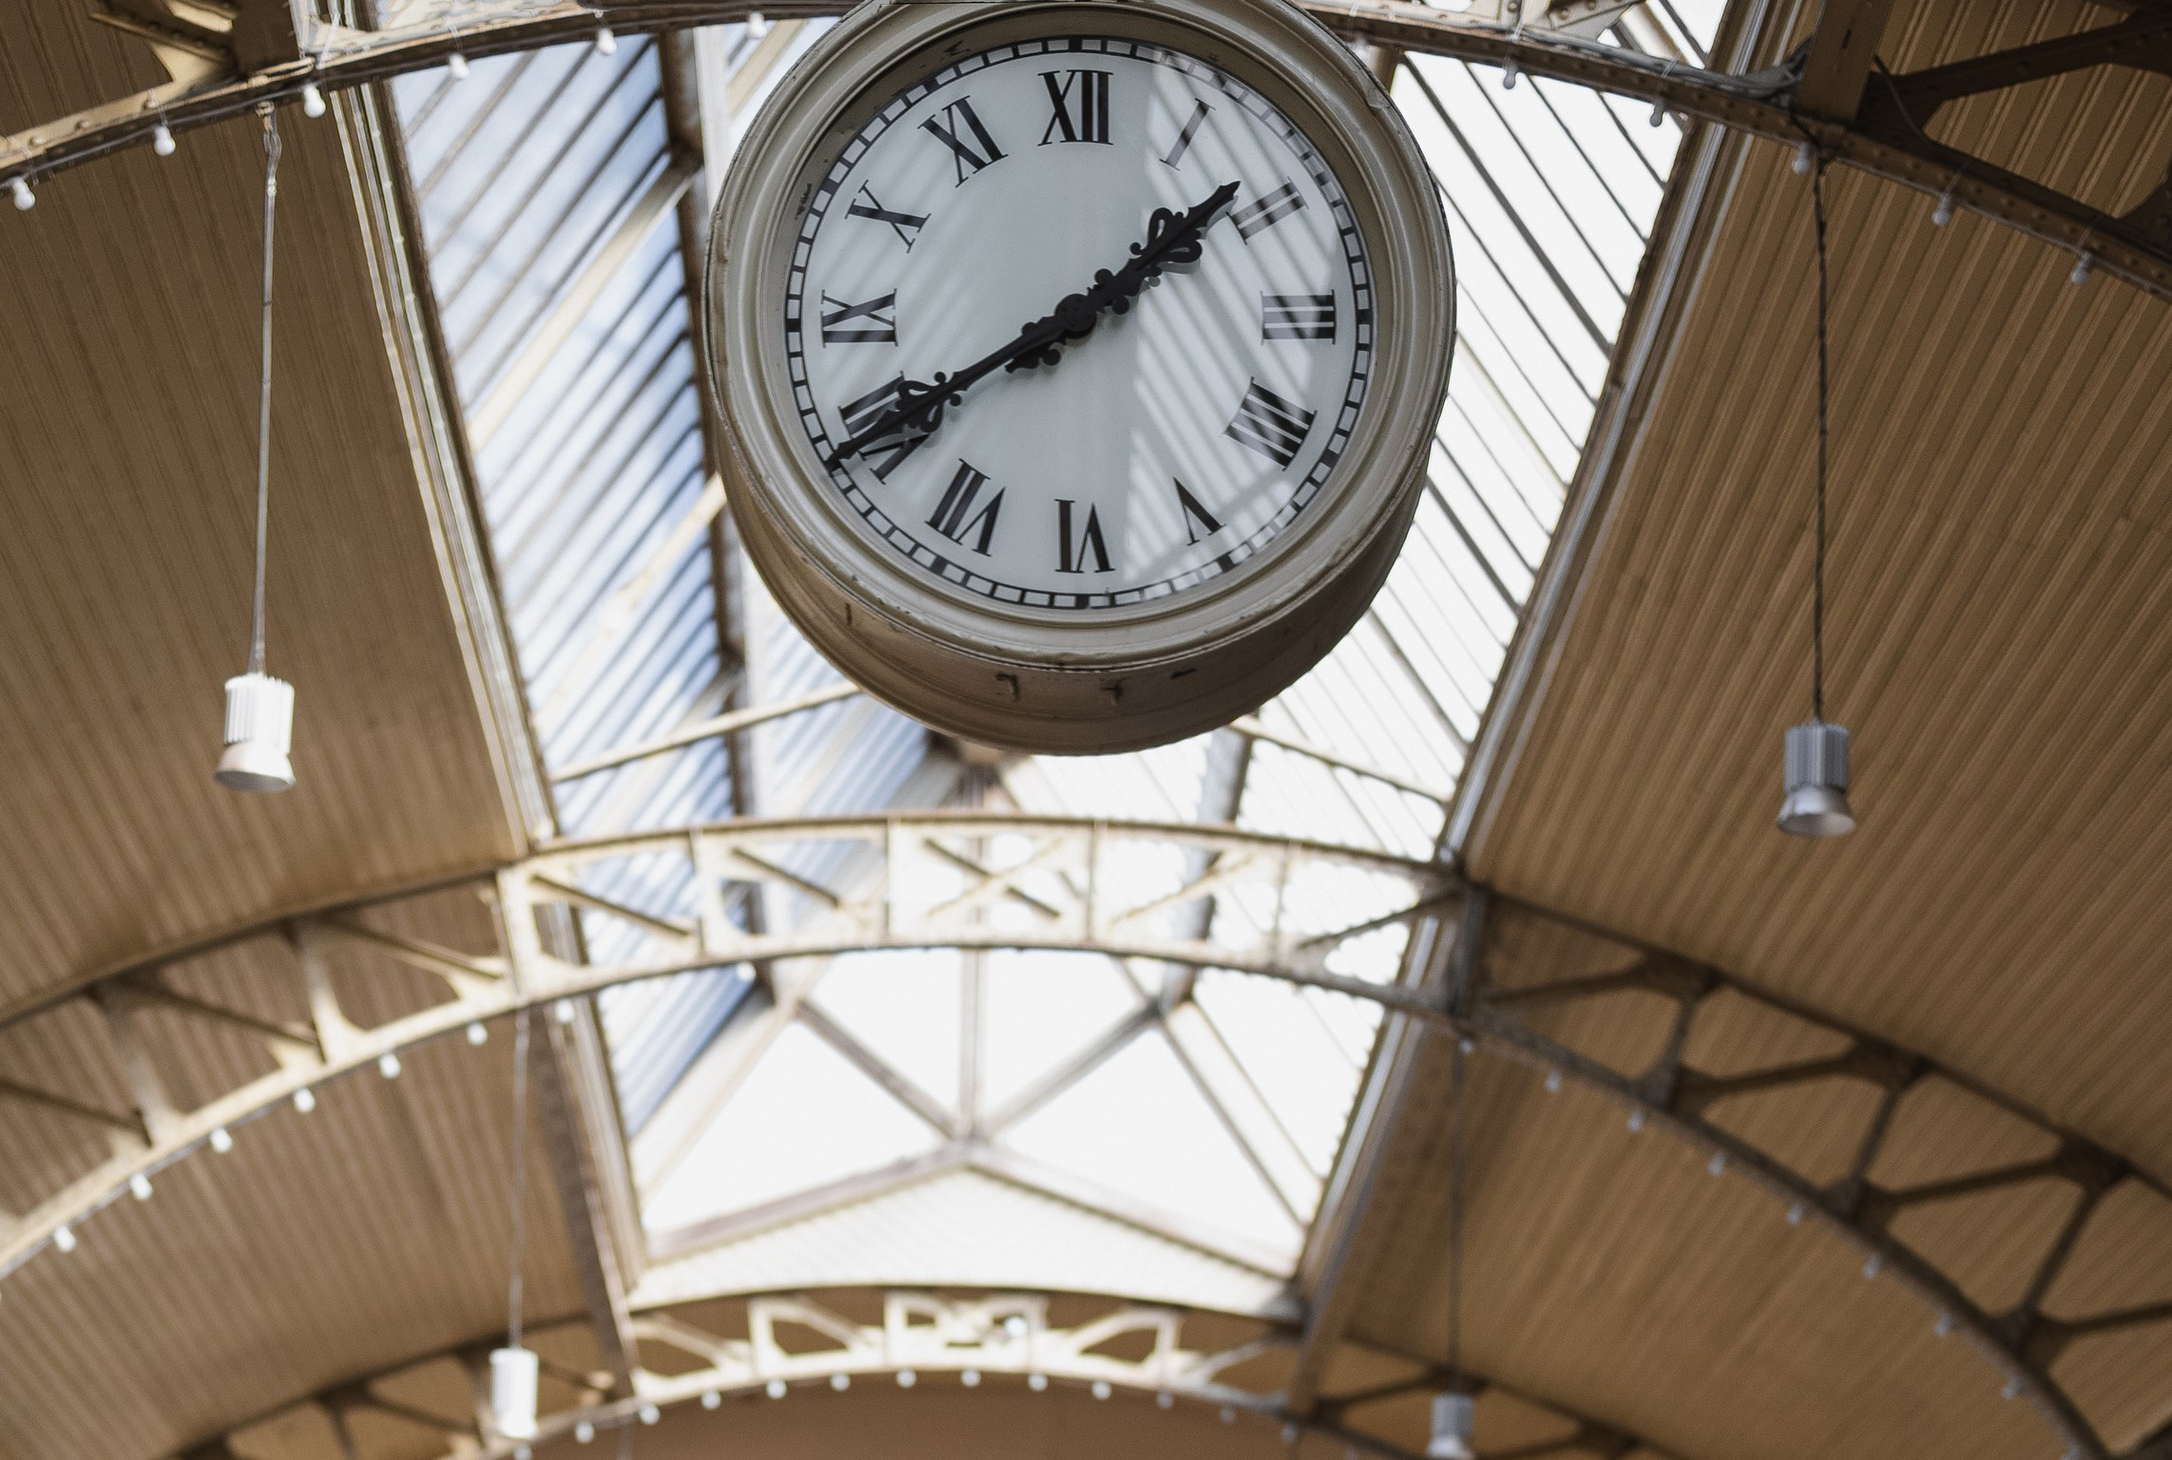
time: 1:40
